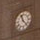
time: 11:23
